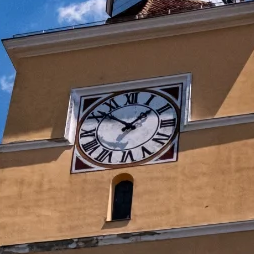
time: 1:51
